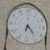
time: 6:23
